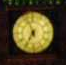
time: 6:56
